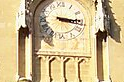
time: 3:15
